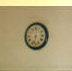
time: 6:32
